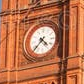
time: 4:37
